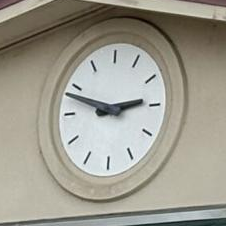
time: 2:48
